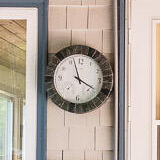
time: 3:57
